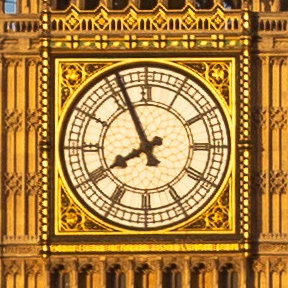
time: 7:55
